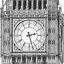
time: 2:27
